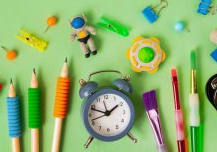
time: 1:48
